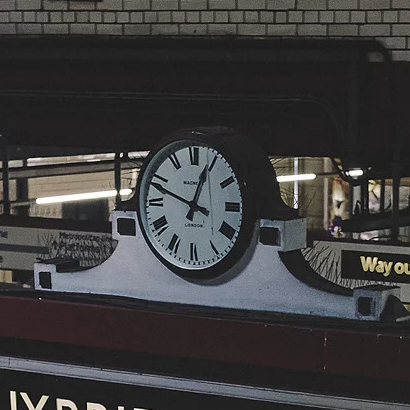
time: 12:48
